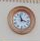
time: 11:17
